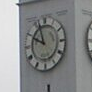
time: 9:56
